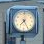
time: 7:24
